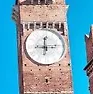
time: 12:14
